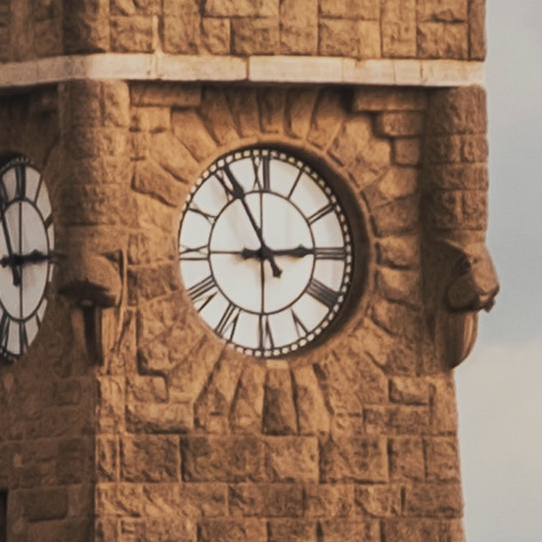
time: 2:55
